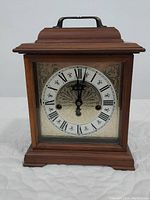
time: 12:02
